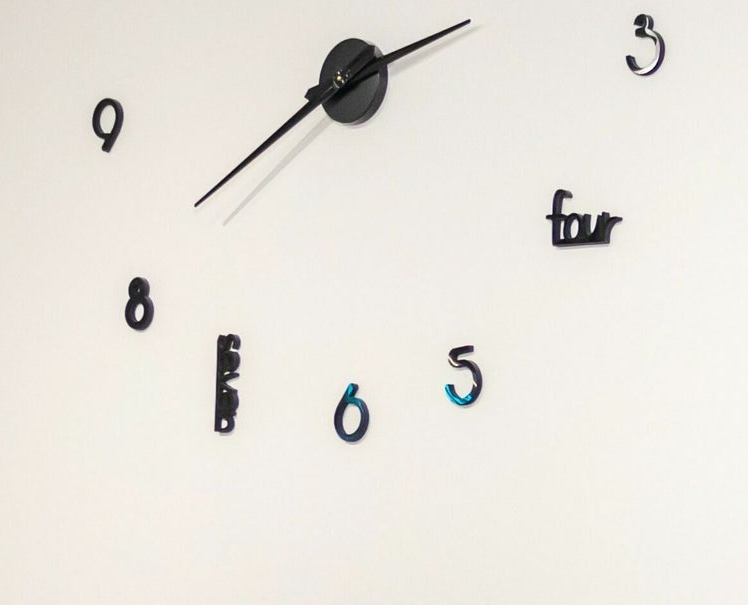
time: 2:40
